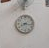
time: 8:16
